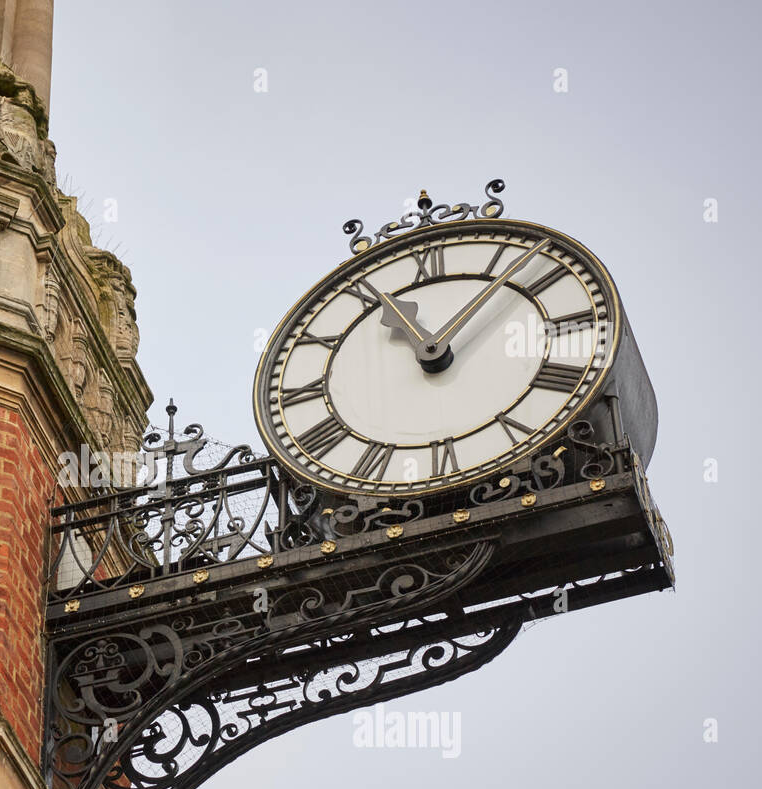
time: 11:07
